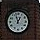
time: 12:57
